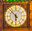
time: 5:52
